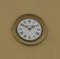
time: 1:50
